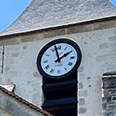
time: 1:57
